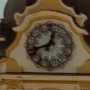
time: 12:41
